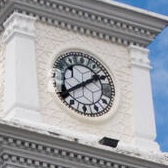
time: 1:39
